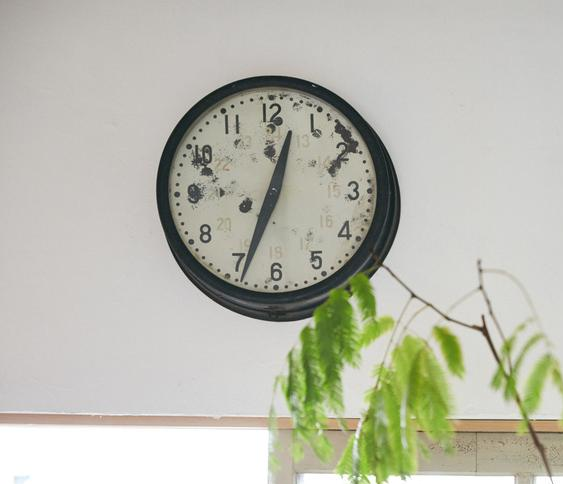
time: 12:33
